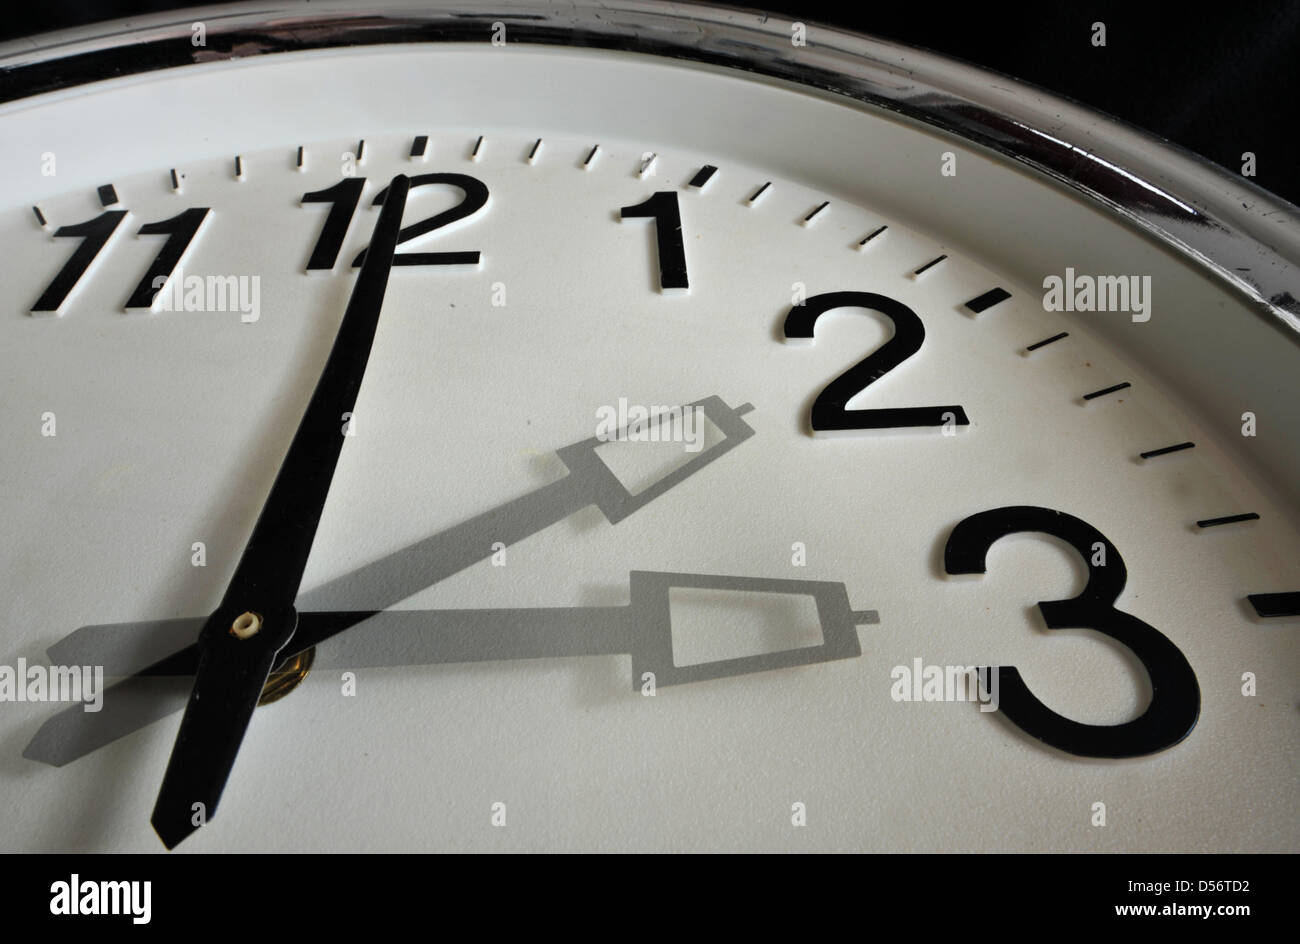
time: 2:00
